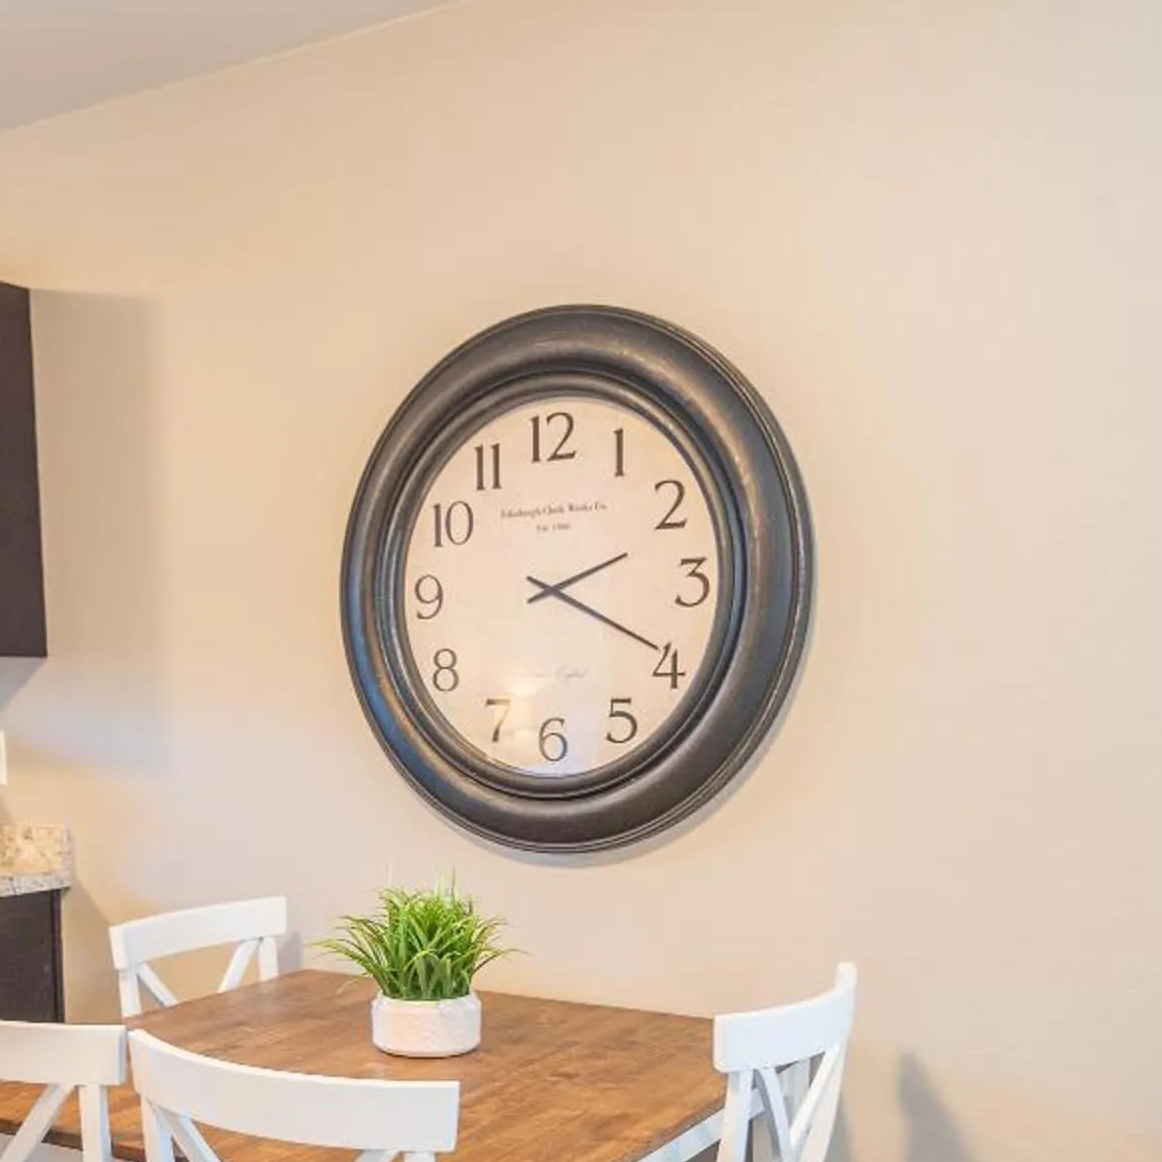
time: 2:19
